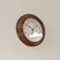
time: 10:07
